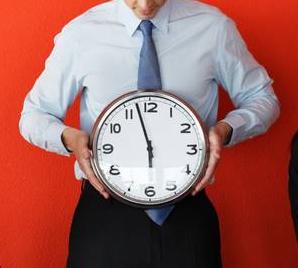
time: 5:57
